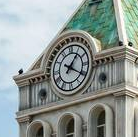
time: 1:20
